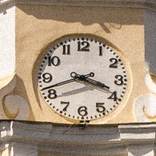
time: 3:42
